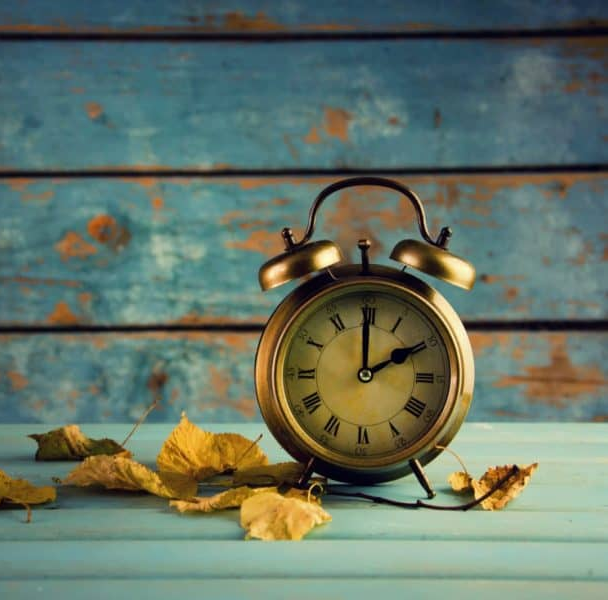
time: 2:00
